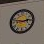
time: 2:46
